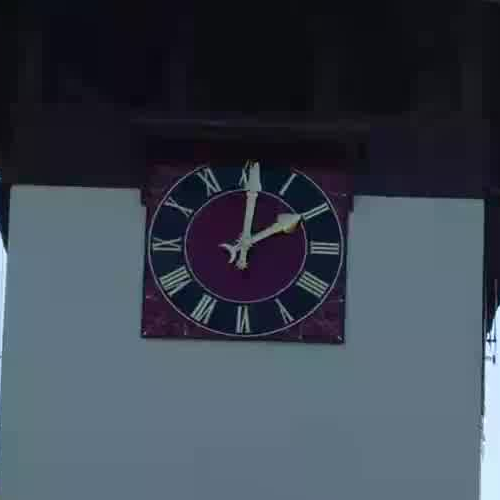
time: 2:01
